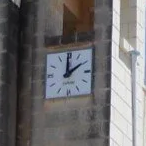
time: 1:59
